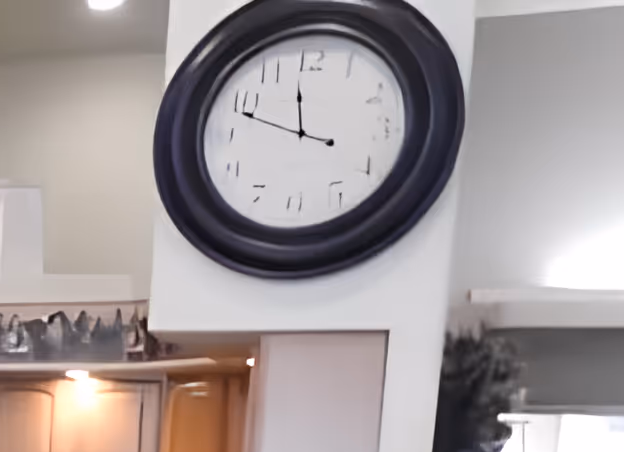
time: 11:48
